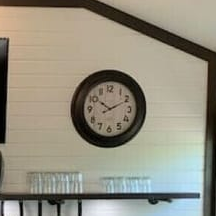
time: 10:10
